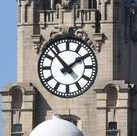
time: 1:52
